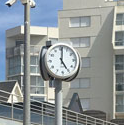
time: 5:01
